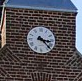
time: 3:22
